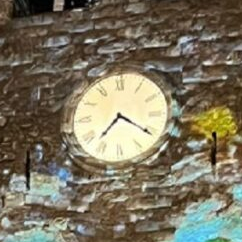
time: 7:20
